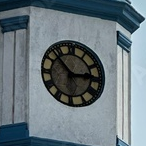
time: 2:52
